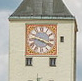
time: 3:46
